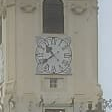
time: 10:38
